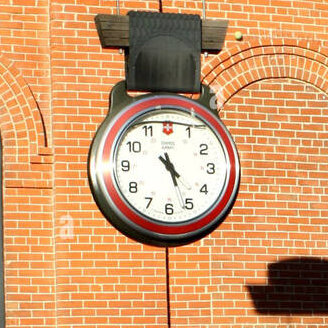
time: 4:26
